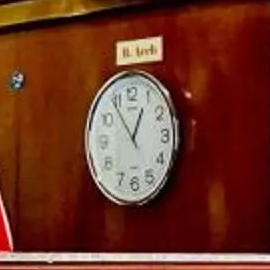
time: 12:54
